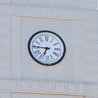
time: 6:45
